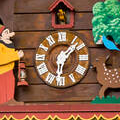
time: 1:32
